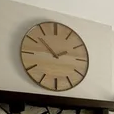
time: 1:52
